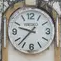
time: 9:37
